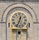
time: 12:33
